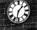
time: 1:32
